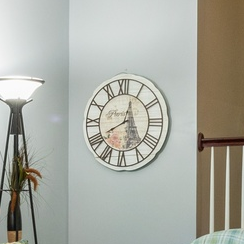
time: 12:40
